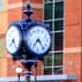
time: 7:24
